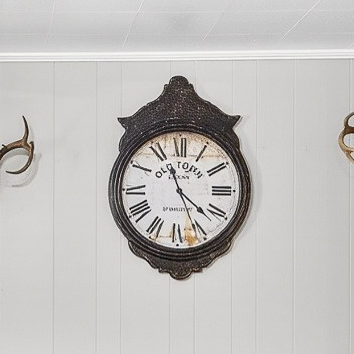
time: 11:21
